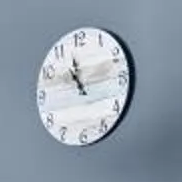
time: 10:57
